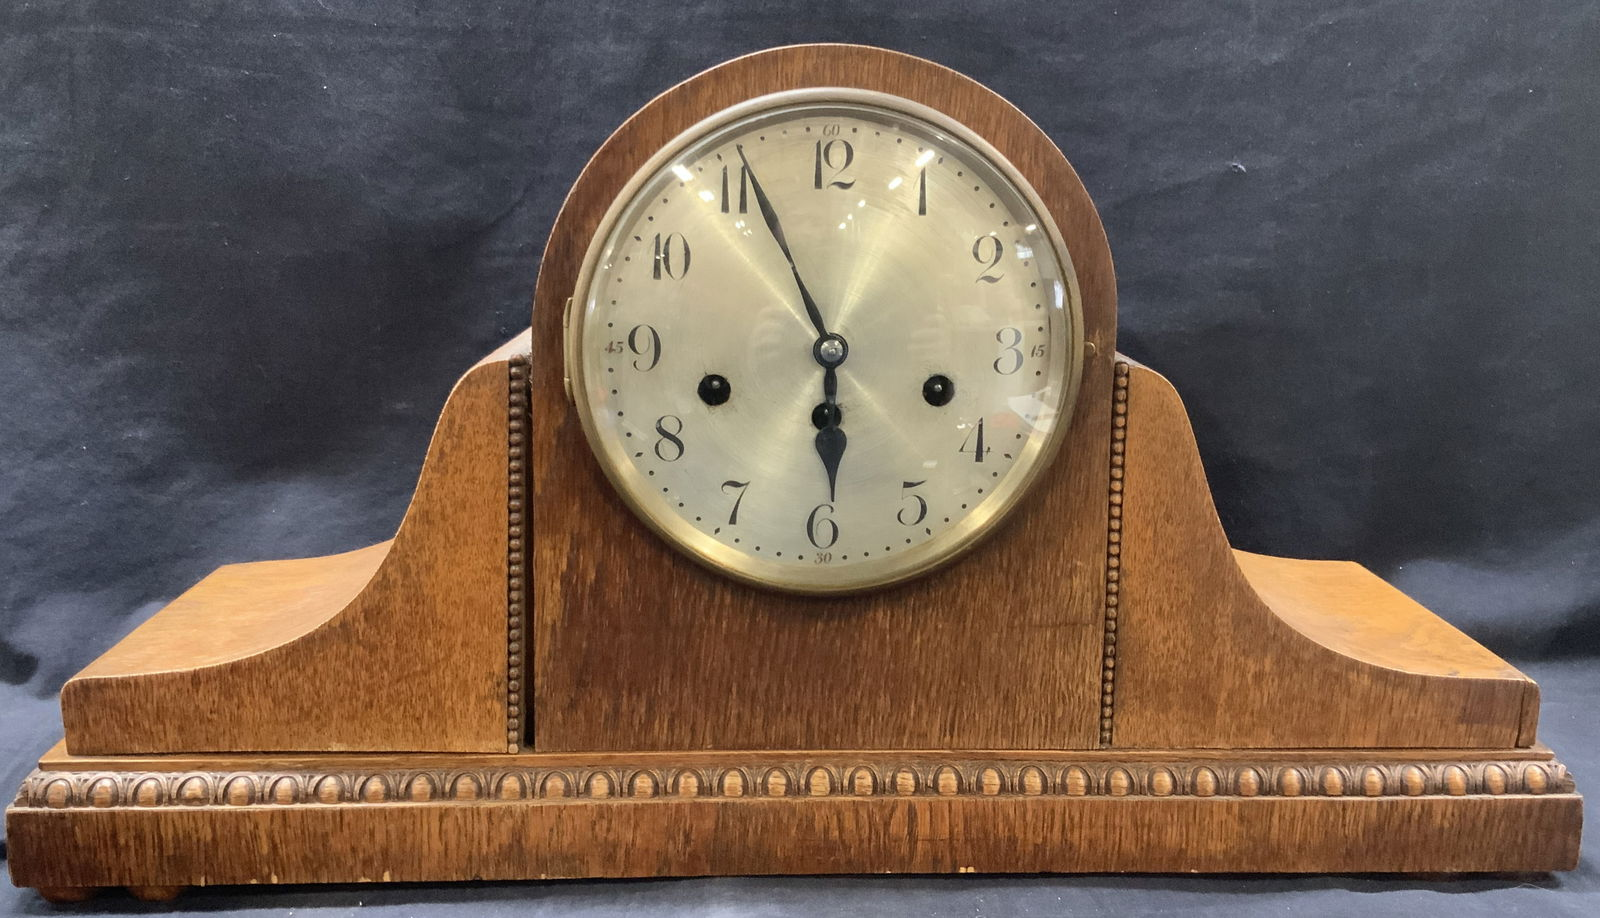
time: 5:55
